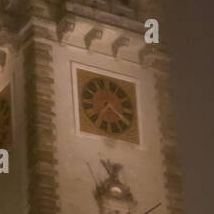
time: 7:20
